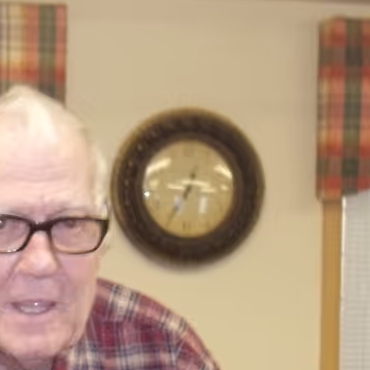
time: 3:34
